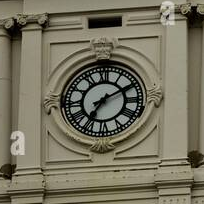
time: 7:10
